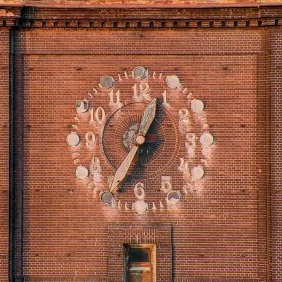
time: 12:35
